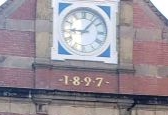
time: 9:07
